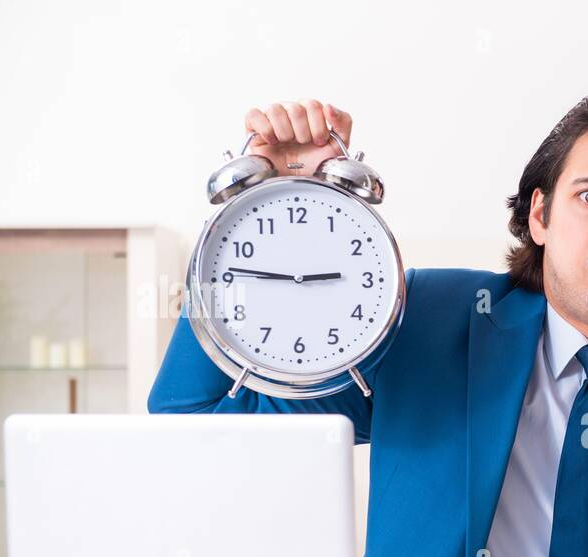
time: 2:46
